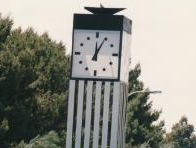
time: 12:04
